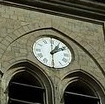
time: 1:09
